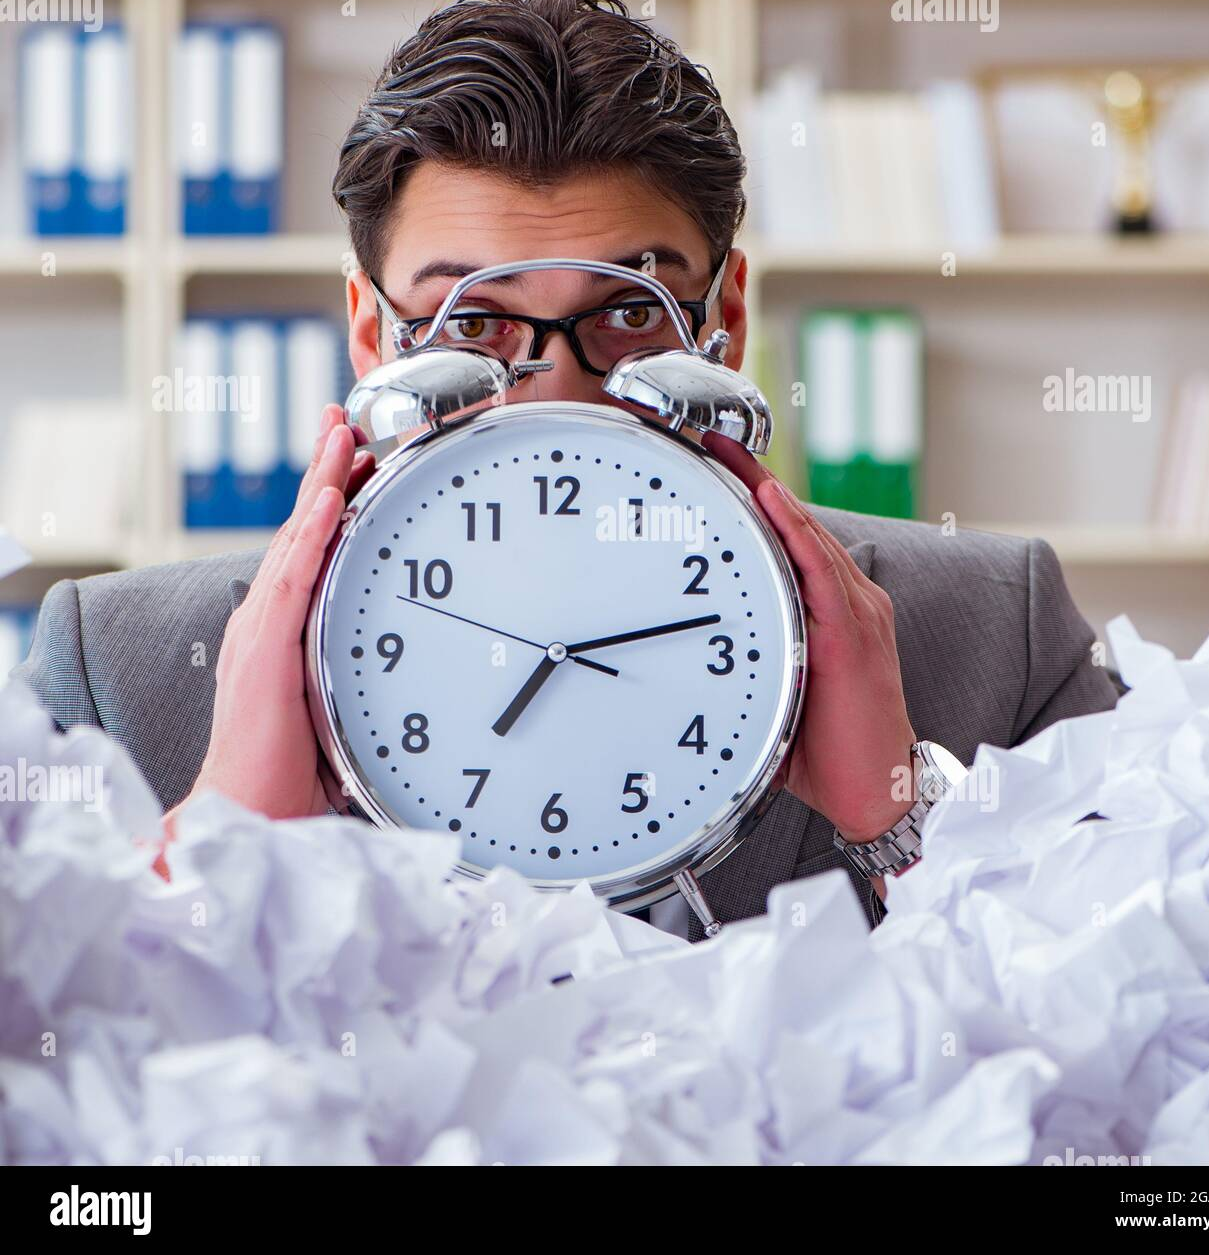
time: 7:12
